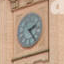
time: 2:23
